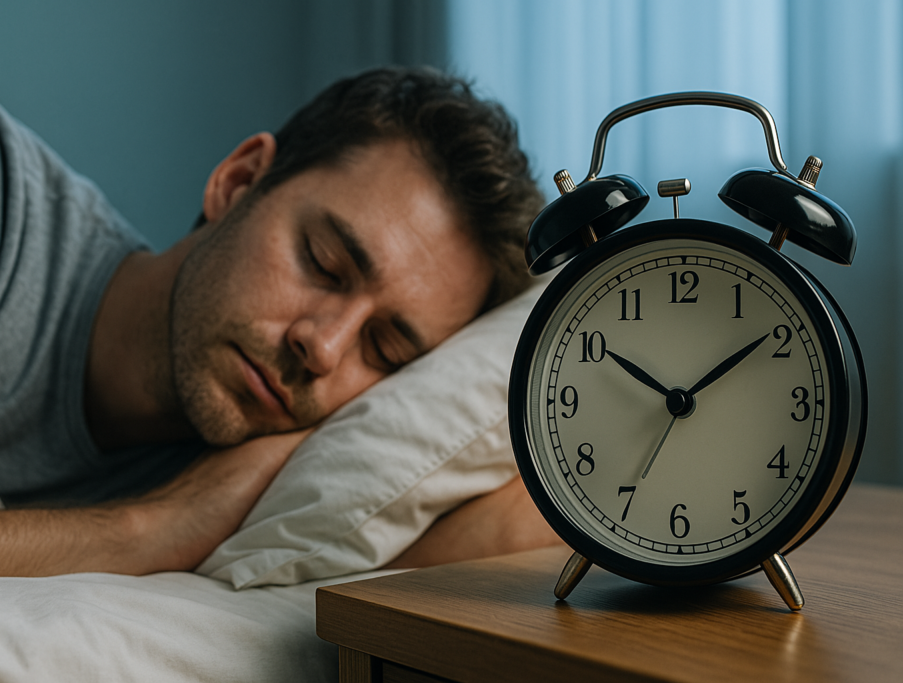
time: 10:09
